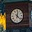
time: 12:22
